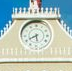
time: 5:40
